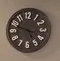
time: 4:48
